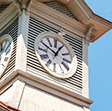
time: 12:49
